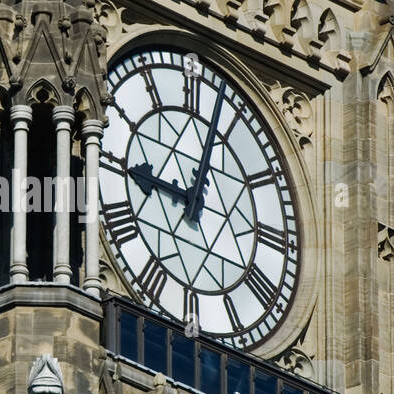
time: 9:02
